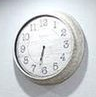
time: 6:32
